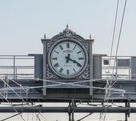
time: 12:19
